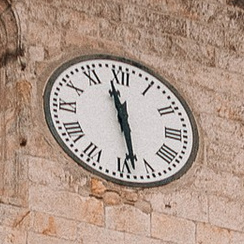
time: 11:28
